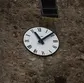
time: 11:09
